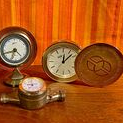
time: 12:07
